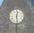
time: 12:28
